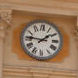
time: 1:46
